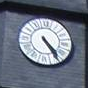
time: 4:23
